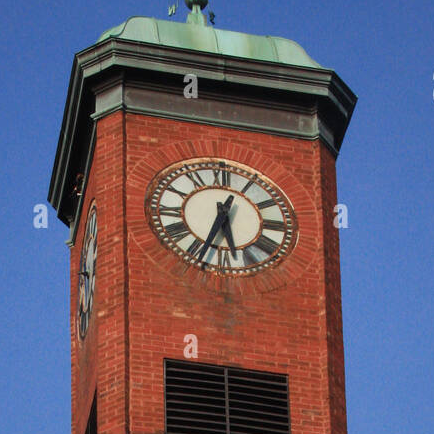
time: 5:33
